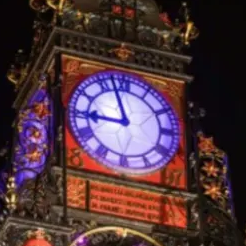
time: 8:57
